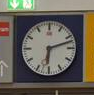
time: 6:12
